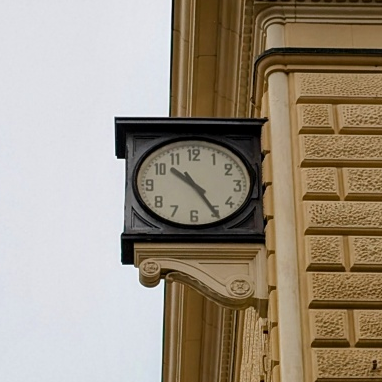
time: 10:24
